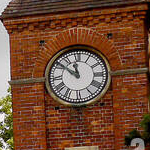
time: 11:51
